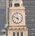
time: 4:48
